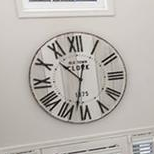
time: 10:32
